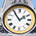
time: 1:54
